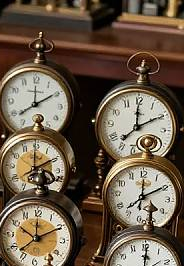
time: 1:59
